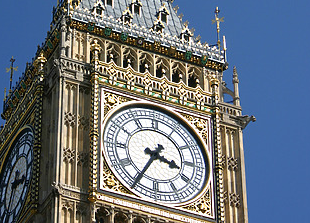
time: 3:35
